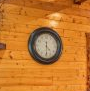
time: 4:29
